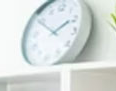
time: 1:50
